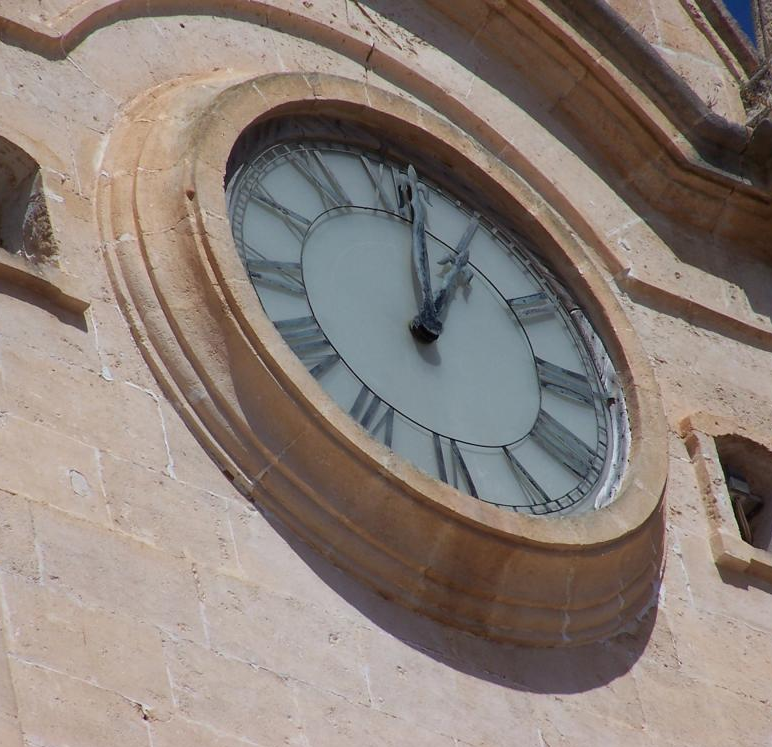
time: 1:02
